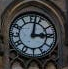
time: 3:02
